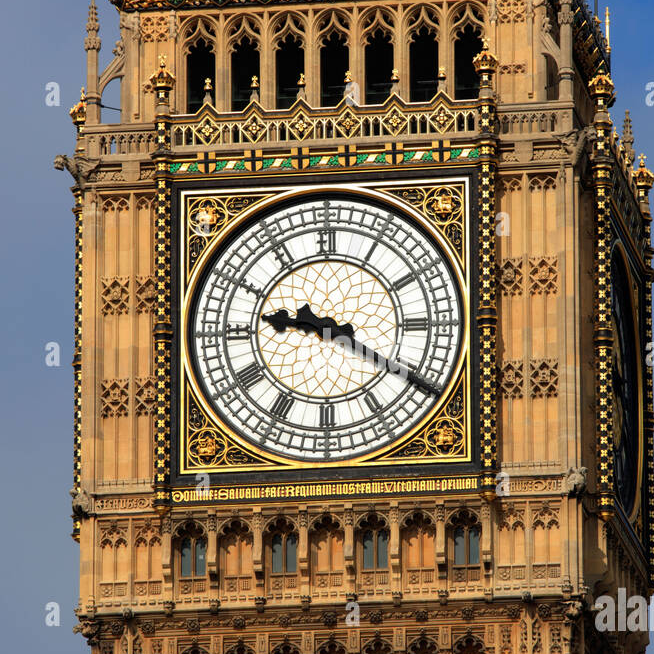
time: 9:20
